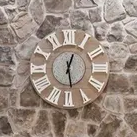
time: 12:28
